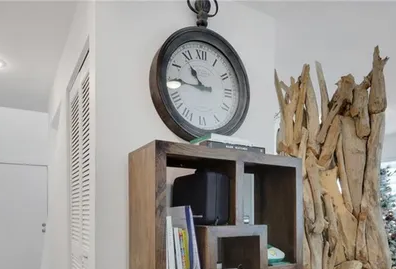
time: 10:45
